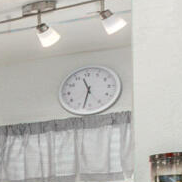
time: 11:32
